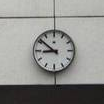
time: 8:51
